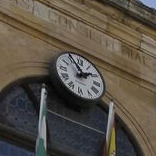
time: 1:55
